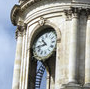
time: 10:43
